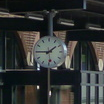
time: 1:45
